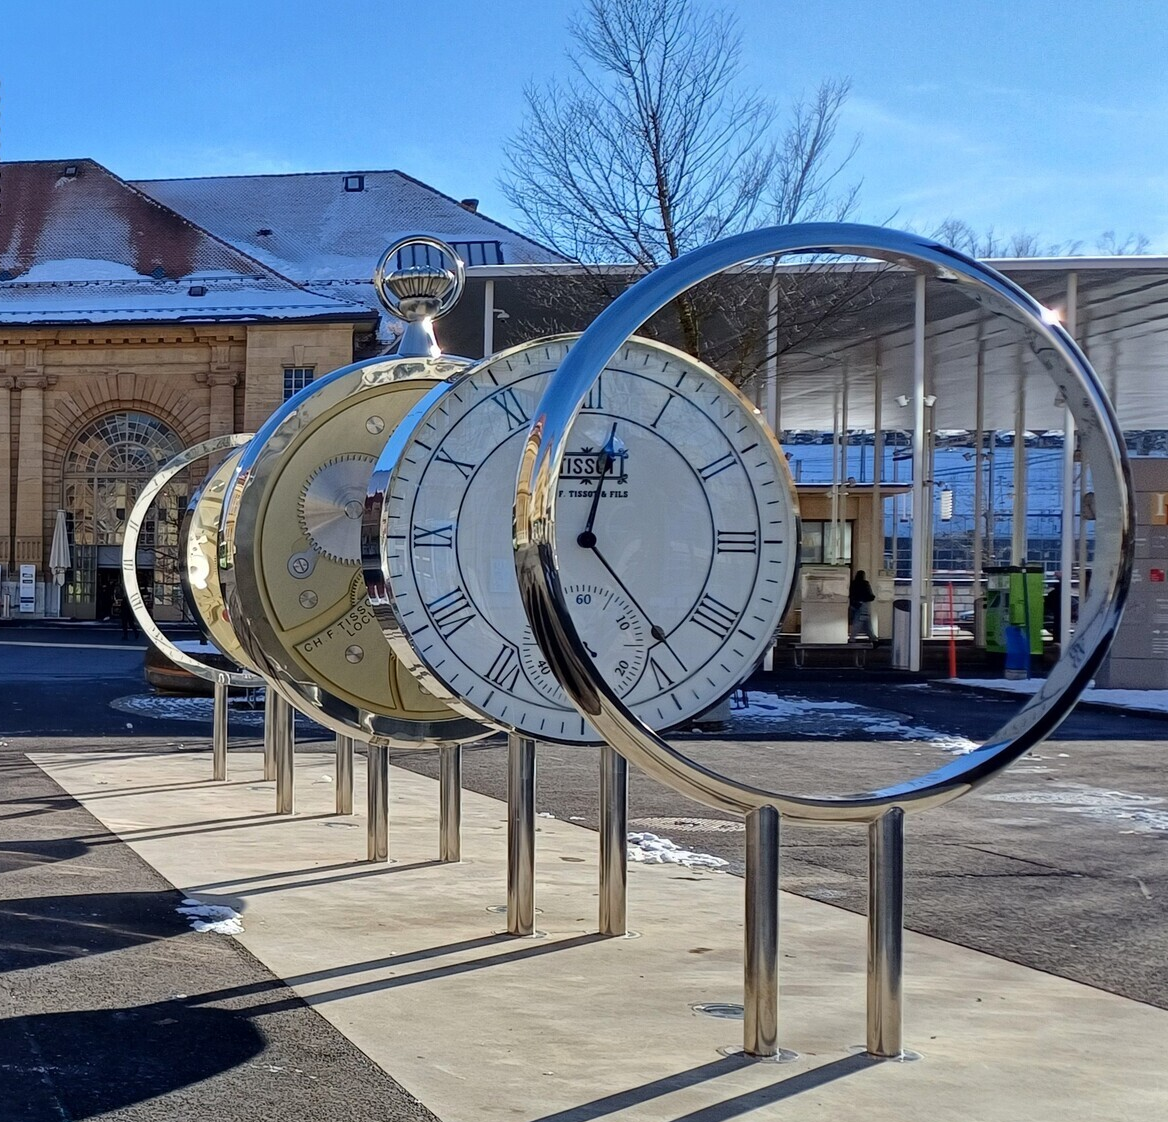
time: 12:23
